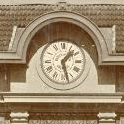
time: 1:27
